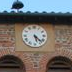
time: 5:22
